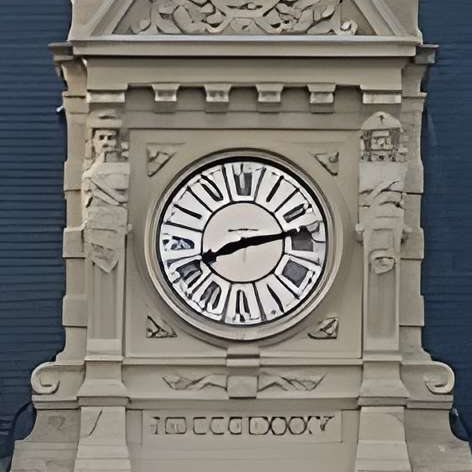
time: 8:13
